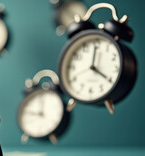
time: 4:00
